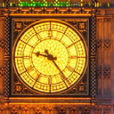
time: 9:23
